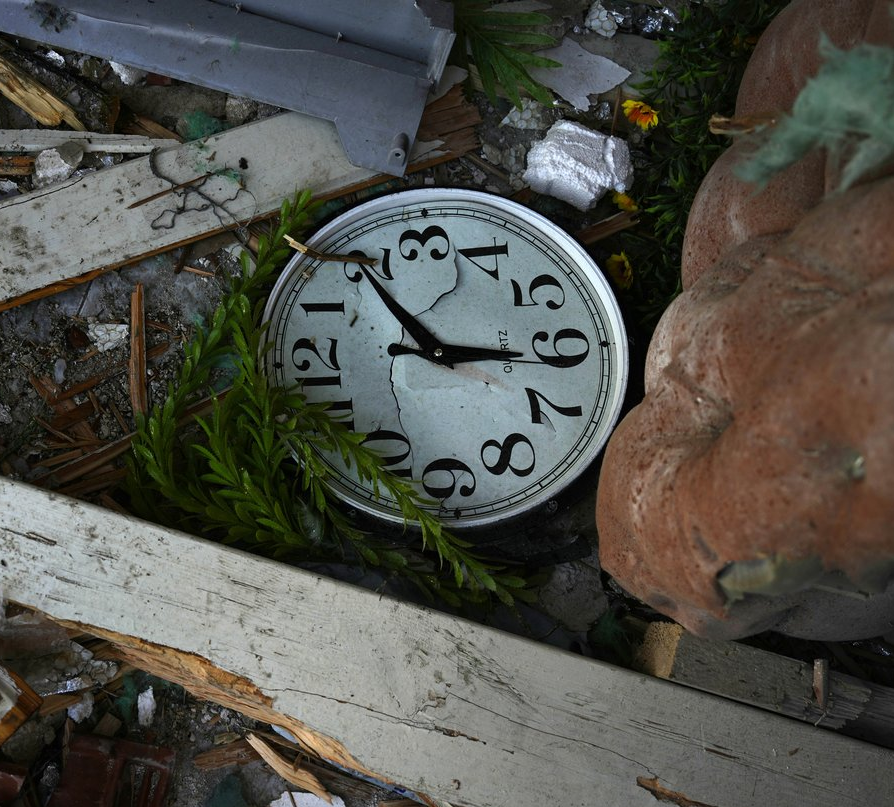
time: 2:54
